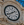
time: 1:39
